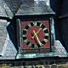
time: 5:06
